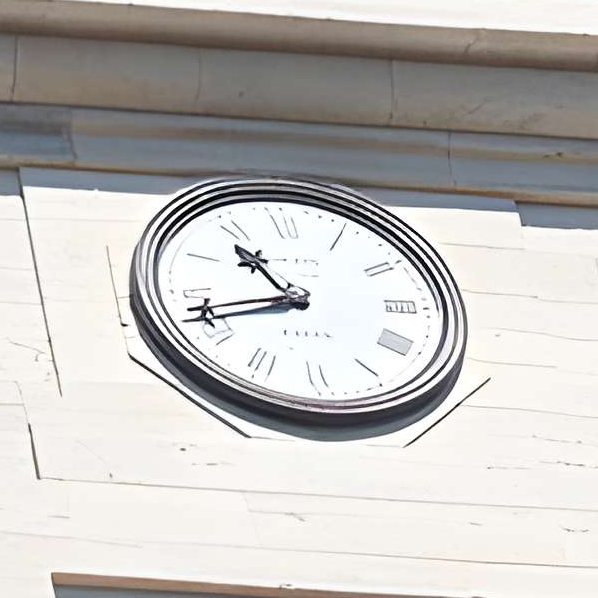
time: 10:42
